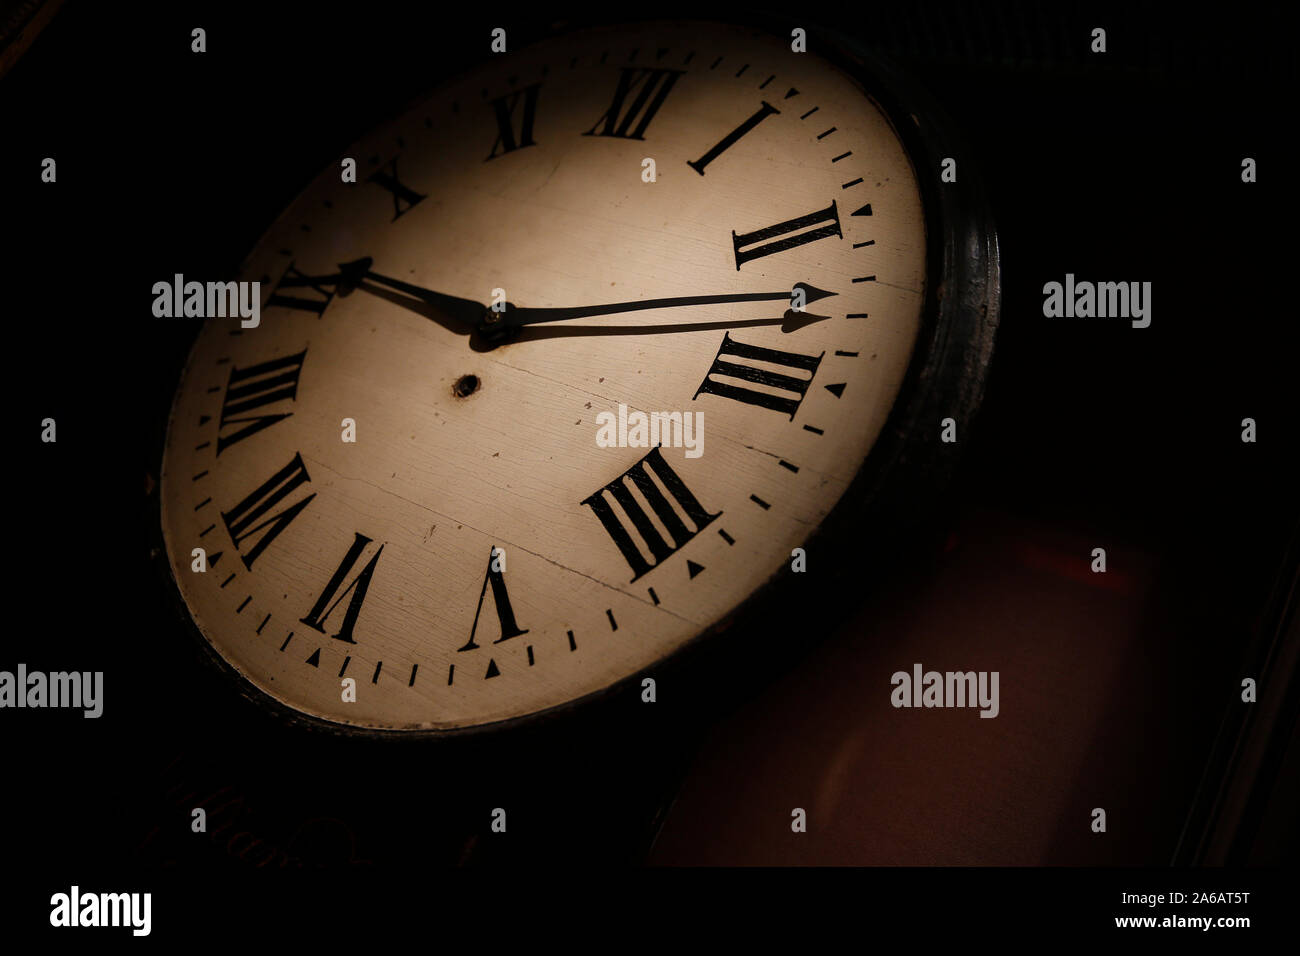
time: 9:12
